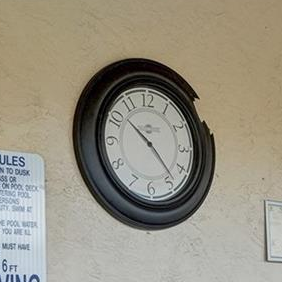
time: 10:23
